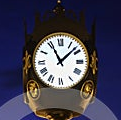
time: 11:07
